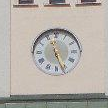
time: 11:26
